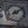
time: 8:08
